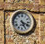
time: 5:18
